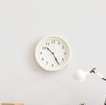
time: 10:24
